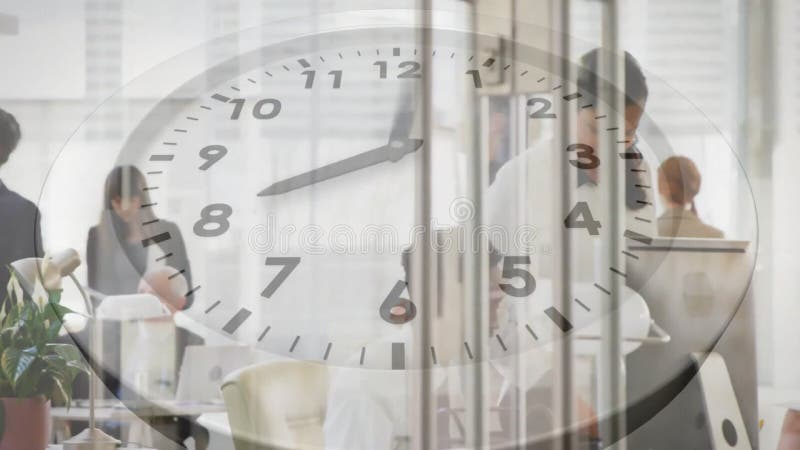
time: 8:01
